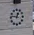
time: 12:46
